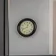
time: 12:41
